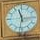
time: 11:31
